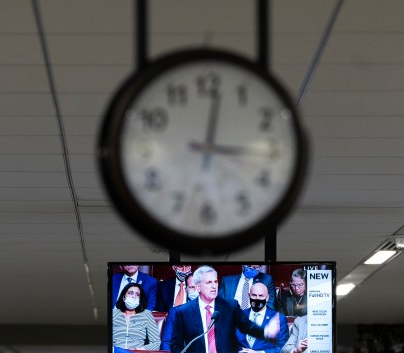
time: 3:01
